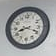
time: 8:18
